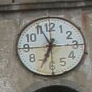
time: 6:55
